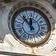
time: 11:53
